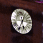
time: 5:34
